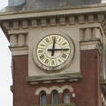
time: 12:14
